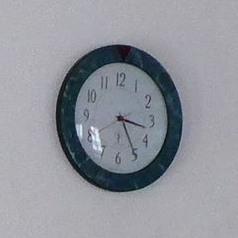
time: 3:24
